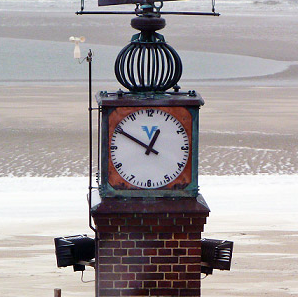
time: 12:49
